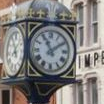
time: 11:09
